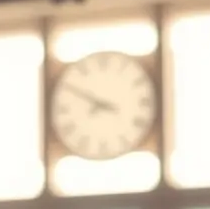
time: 7:49
